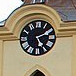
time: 5:10
